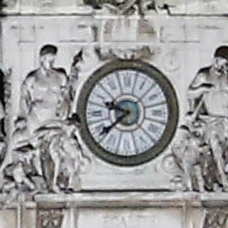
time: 9:38
